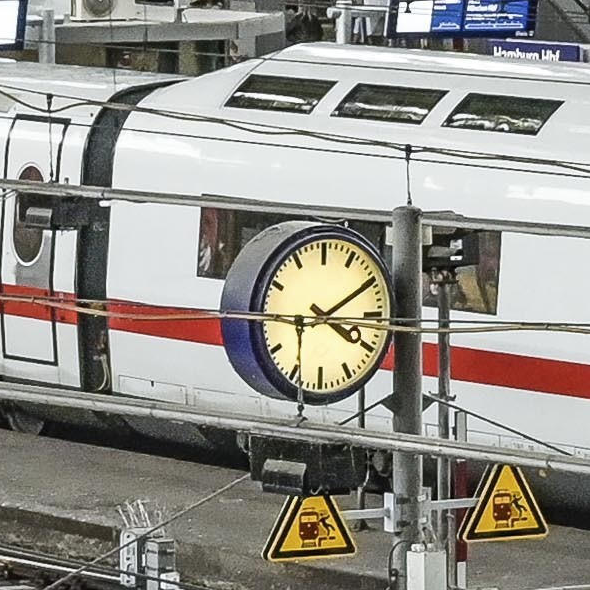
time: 4:10
